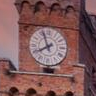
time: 7:56
